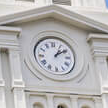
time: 1:09
